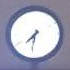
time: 7:31
